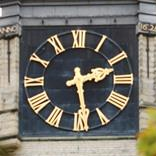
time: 2:28
